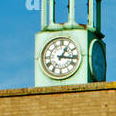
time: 1:16
